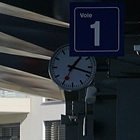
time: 1:18
